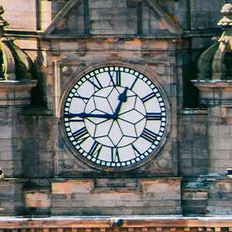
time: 12:45
